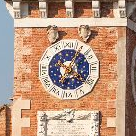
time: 7:04
